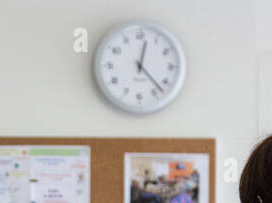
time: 12:22
